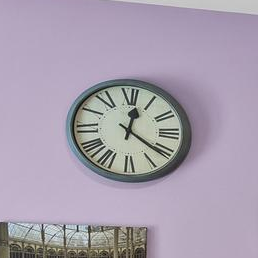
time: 12:21
